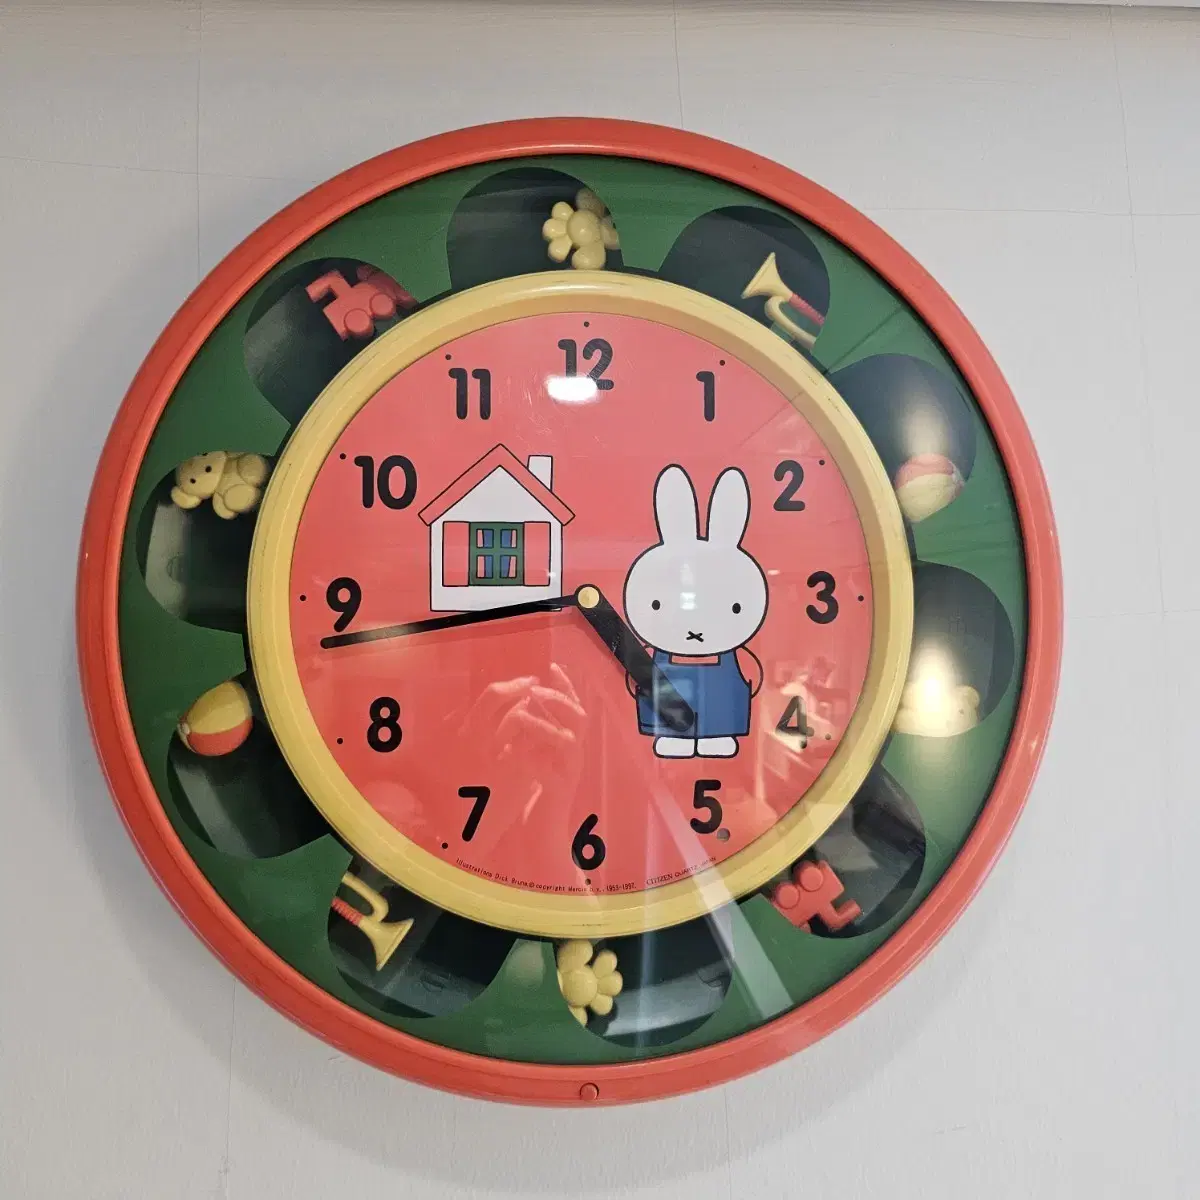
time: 4:43
